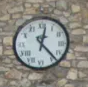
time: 12:23
